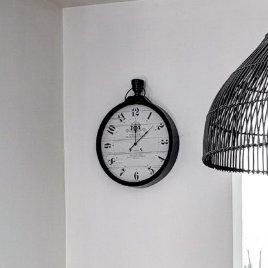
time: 12:07
